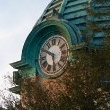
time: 5:50
